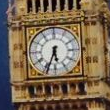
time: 5:33
